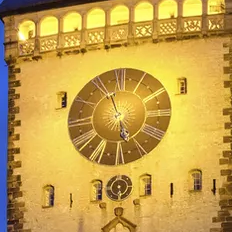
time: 5:56
